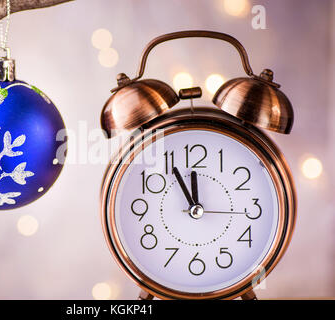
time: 11:55
